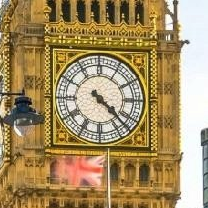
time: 4:22
